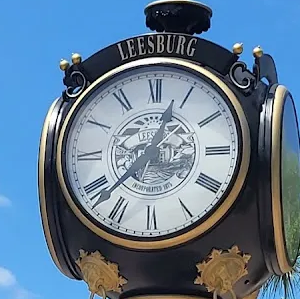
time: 12:37
